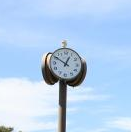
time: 12:50
